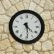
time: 4:28
